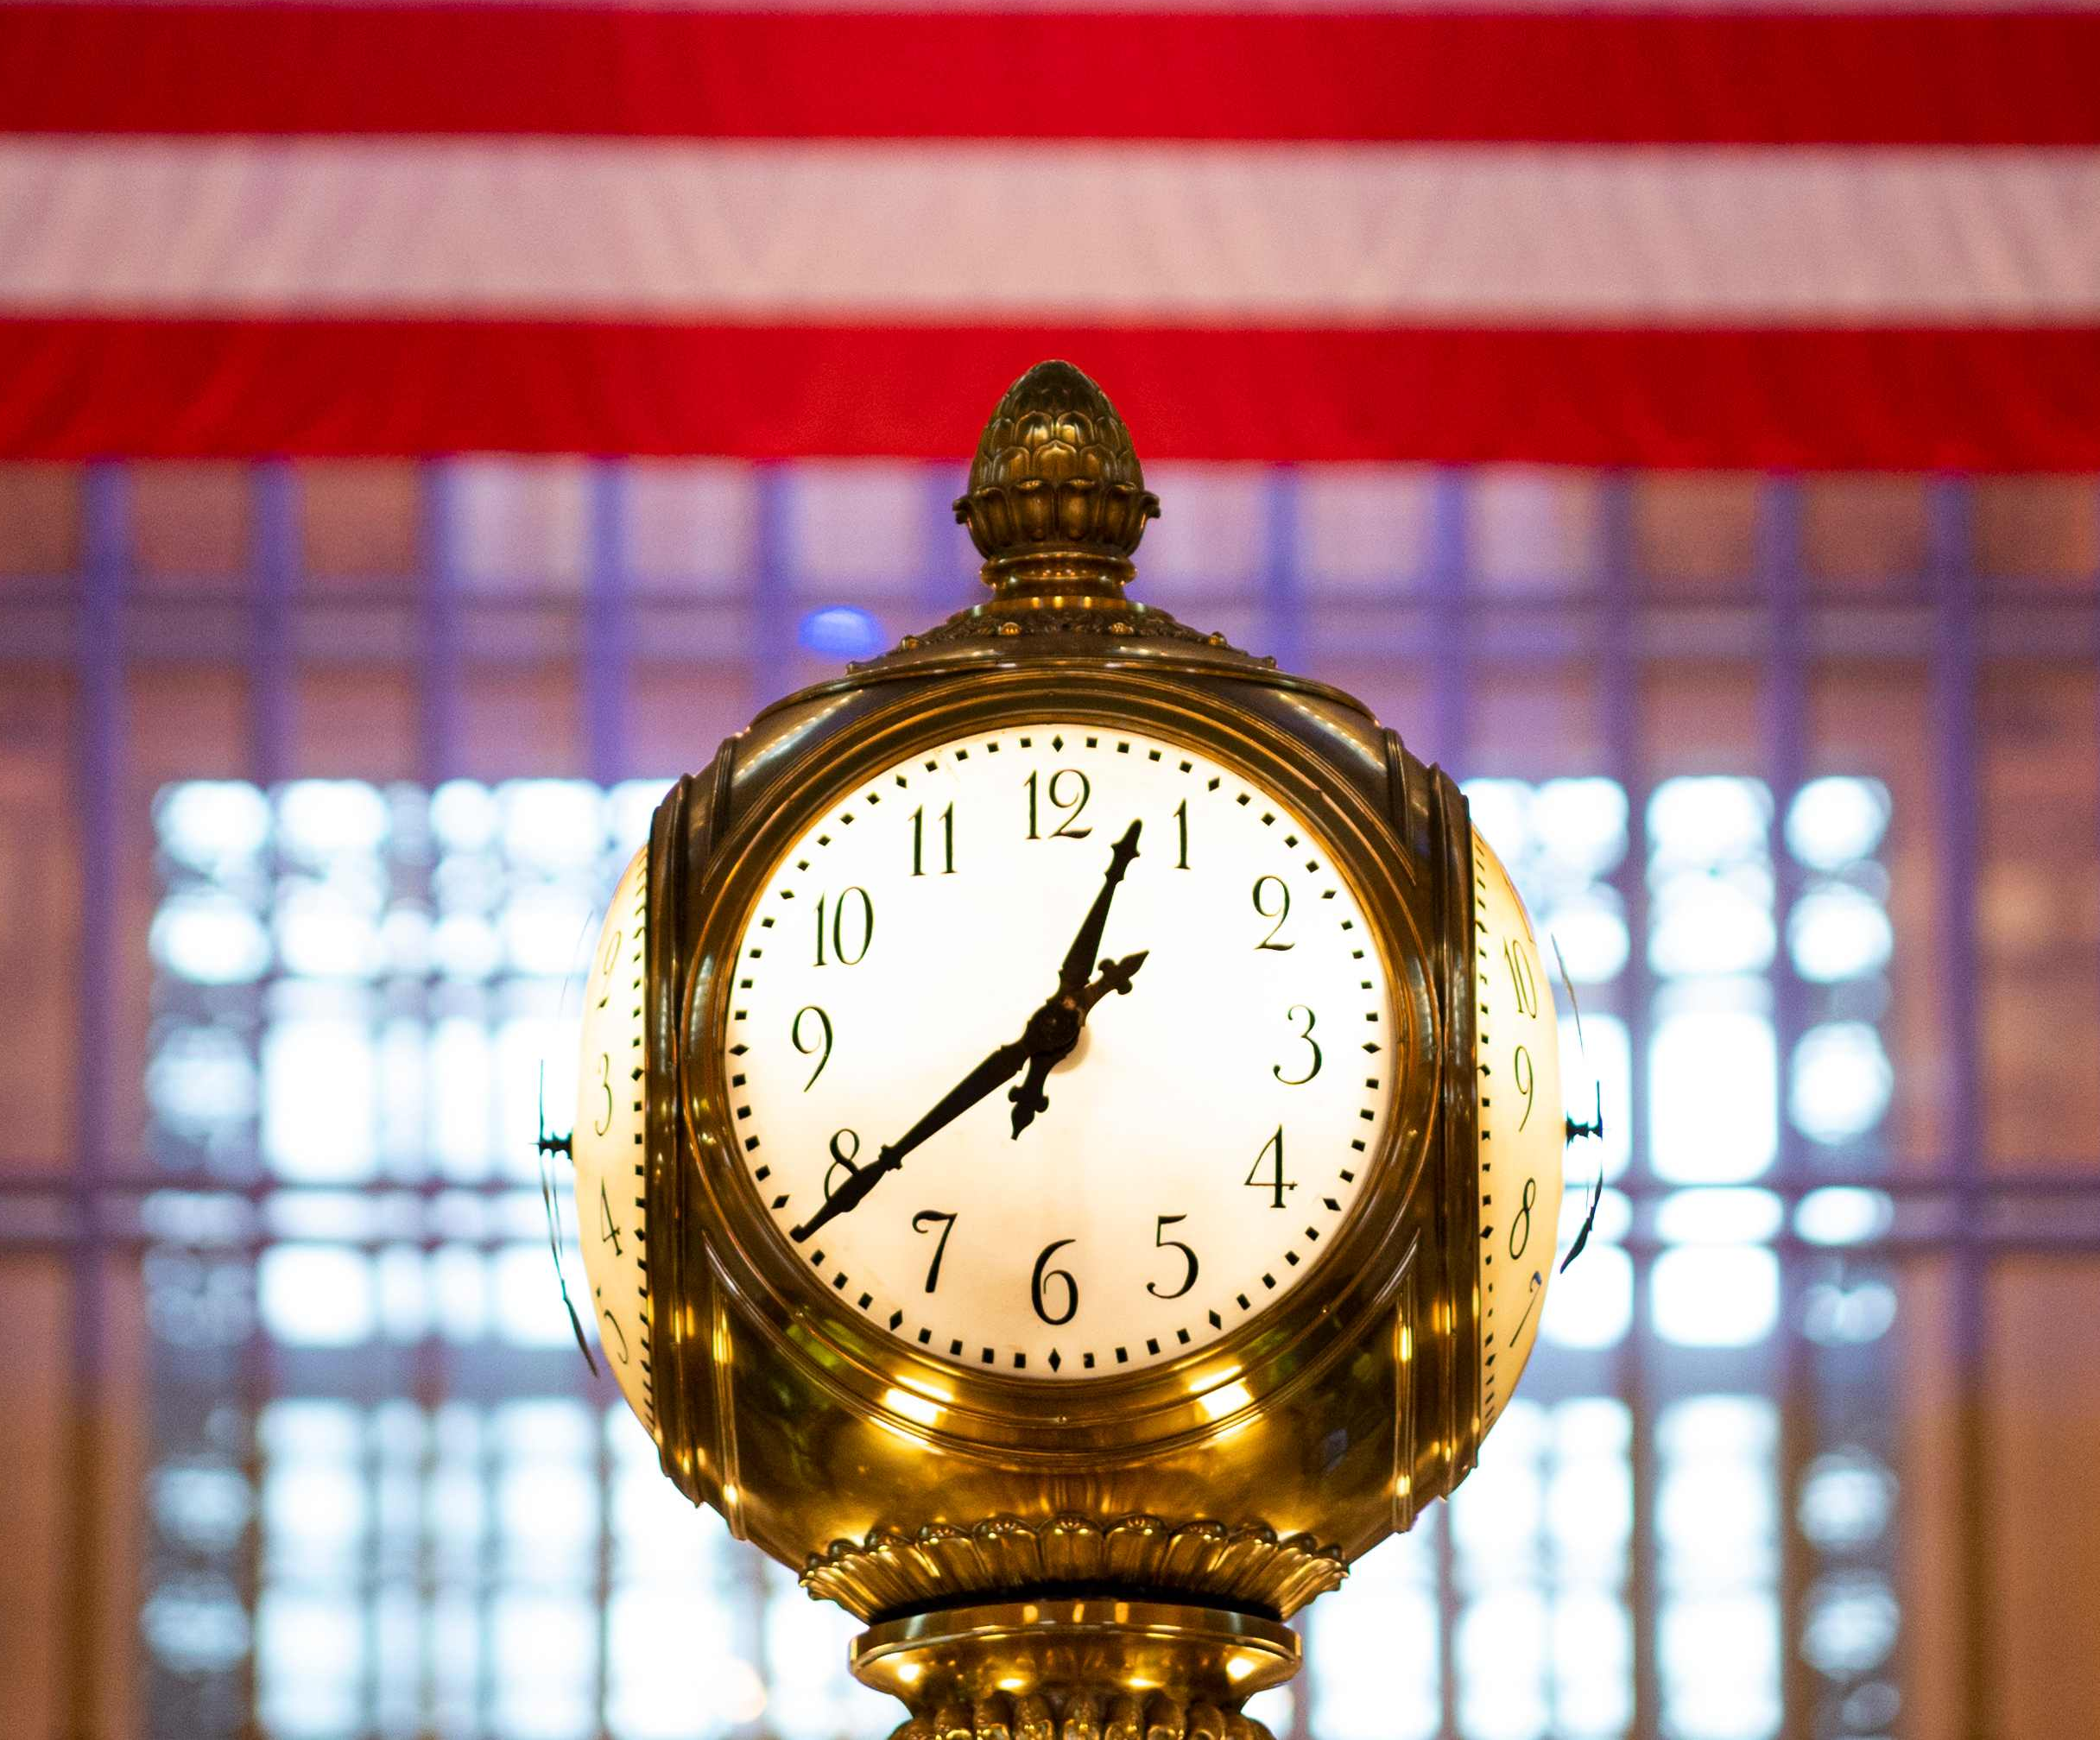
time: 12:39
